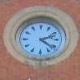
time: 2:21
